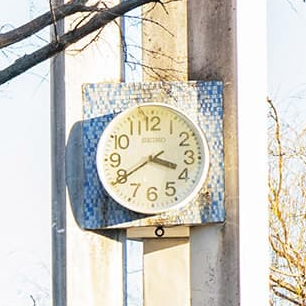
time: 3:39
